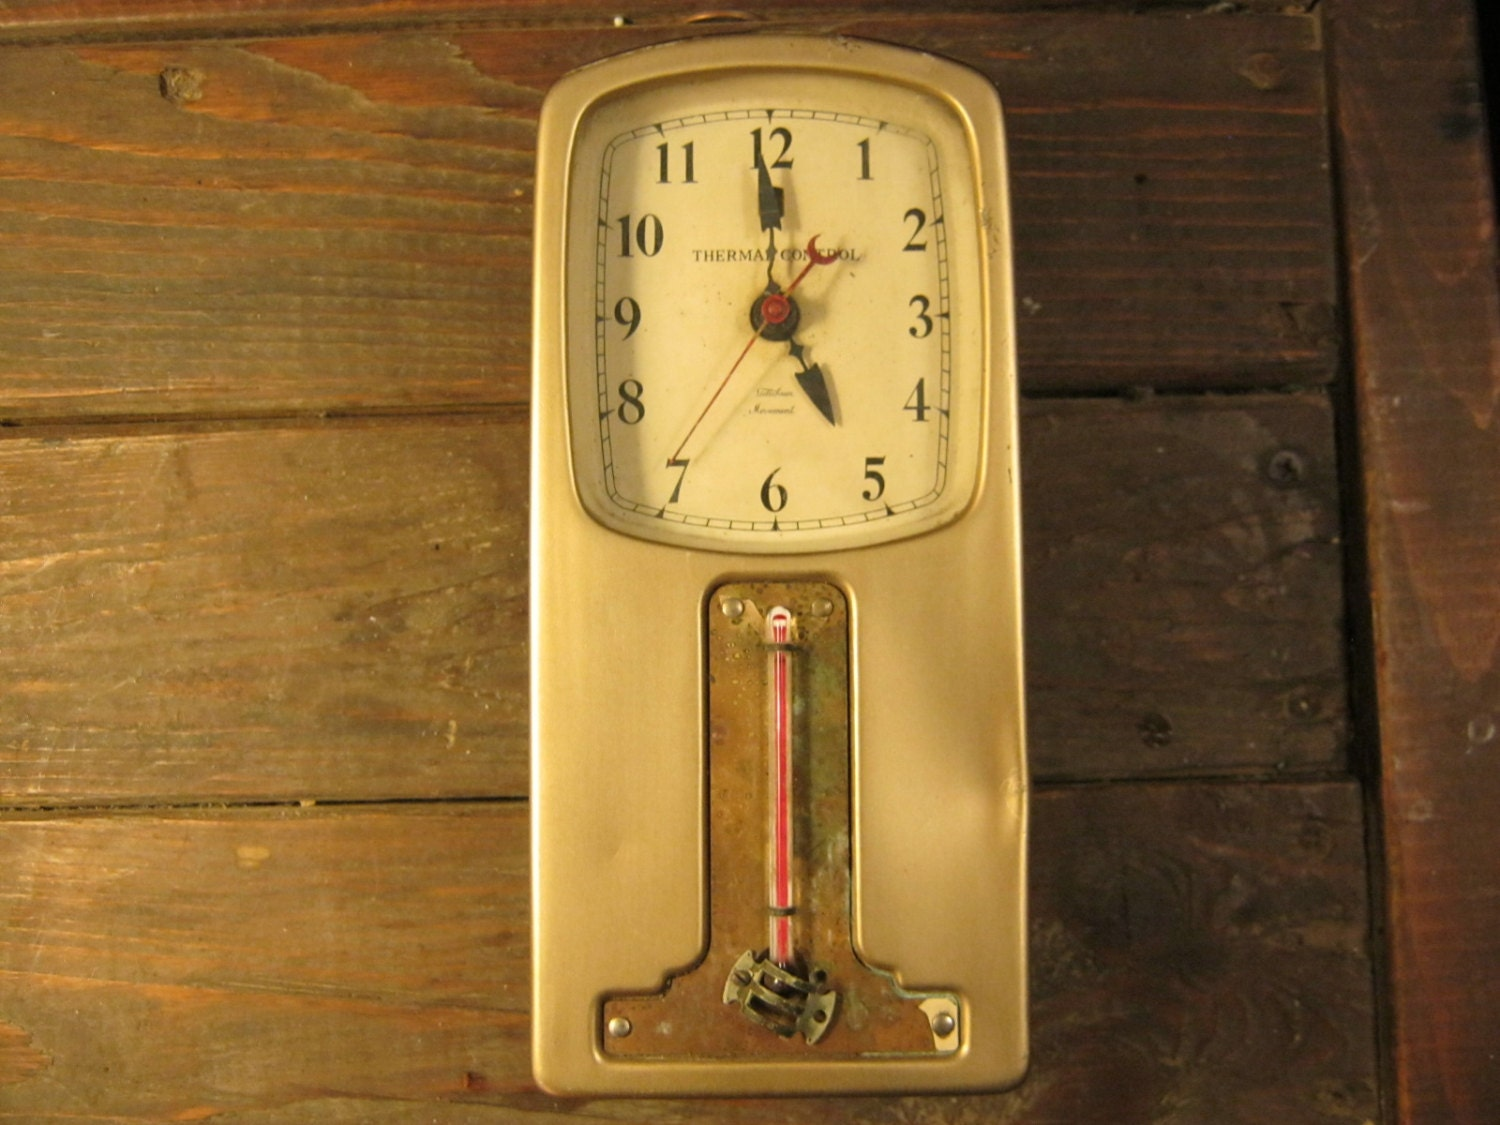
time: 4:59
